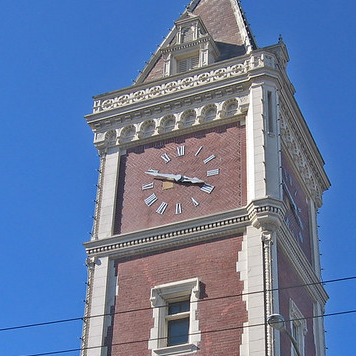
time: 3:48
